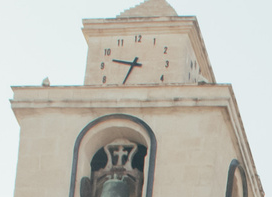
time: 9:33
